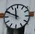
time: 11:48
